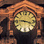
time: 9:17
